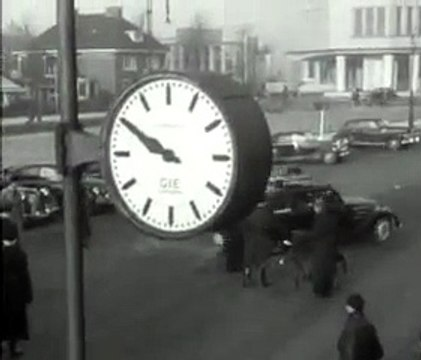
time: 9:50
